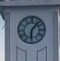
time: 6:06
